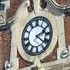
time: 2:21
